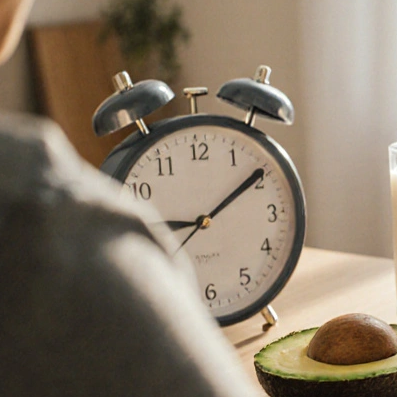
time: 9:09
